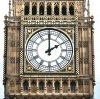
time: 2:00
